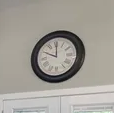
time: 10:00
